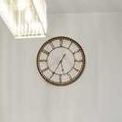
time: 5:35
